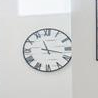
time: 11:17
